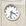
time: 3:32
